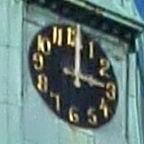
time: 3:00
